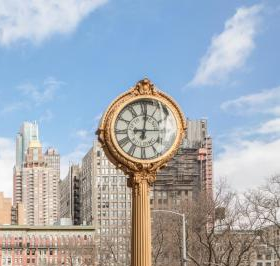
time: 9:01
